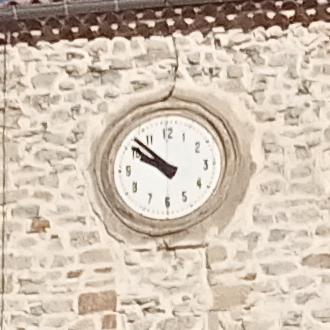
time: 9:51
